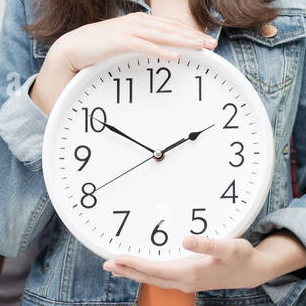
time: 1:50
